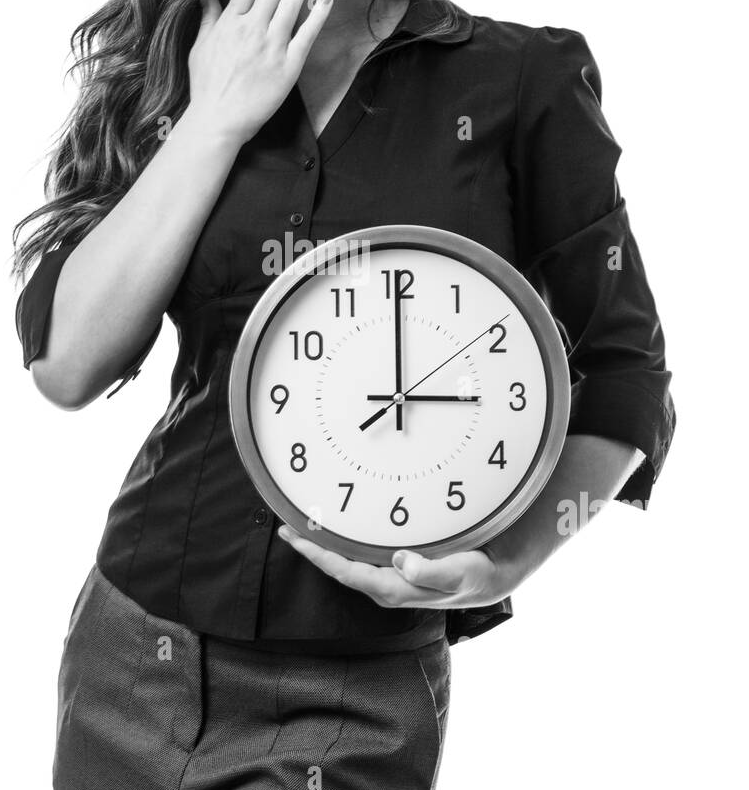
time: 3:00
